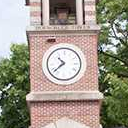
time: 10:38
